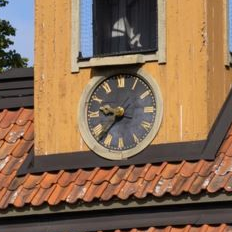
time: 9:37
